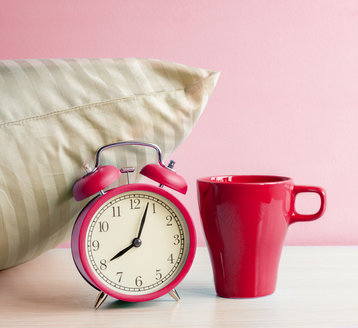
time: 8:03
